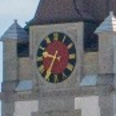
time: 9:34
